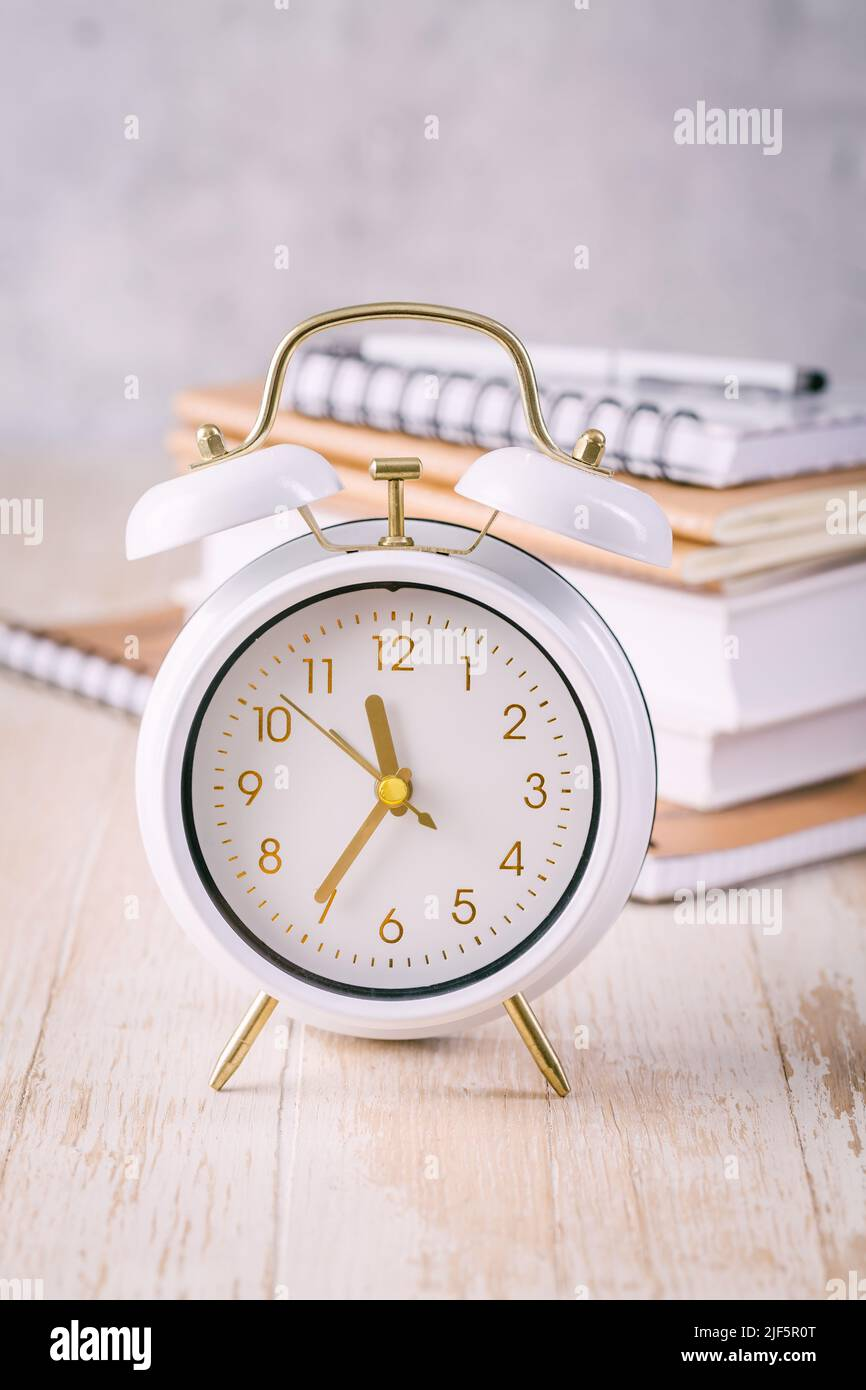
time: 11:35
